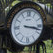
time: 3:17
